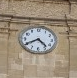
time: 4:40
